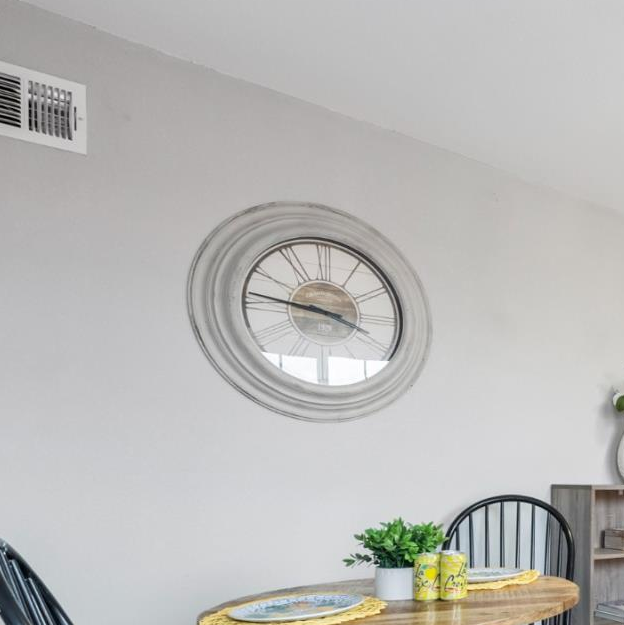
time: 3:46
